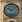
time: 10:07
